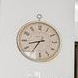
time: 8:35
